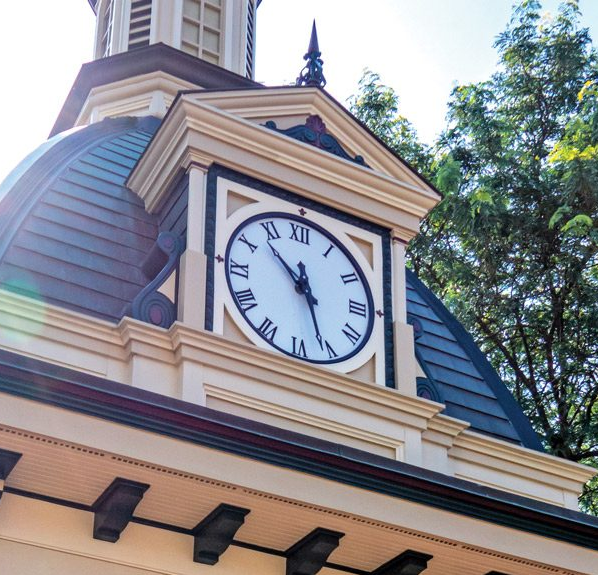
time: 10:26
